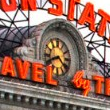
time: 8:21
